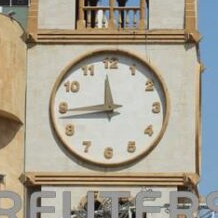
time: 11:44
